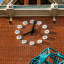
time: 8:01
